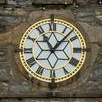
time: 11:07
